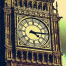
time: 4:14
